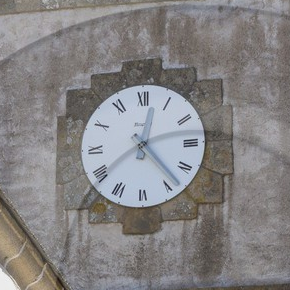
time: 12:23
